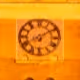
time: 8:09
